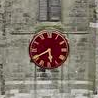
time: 5:40
